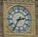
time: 2:35
